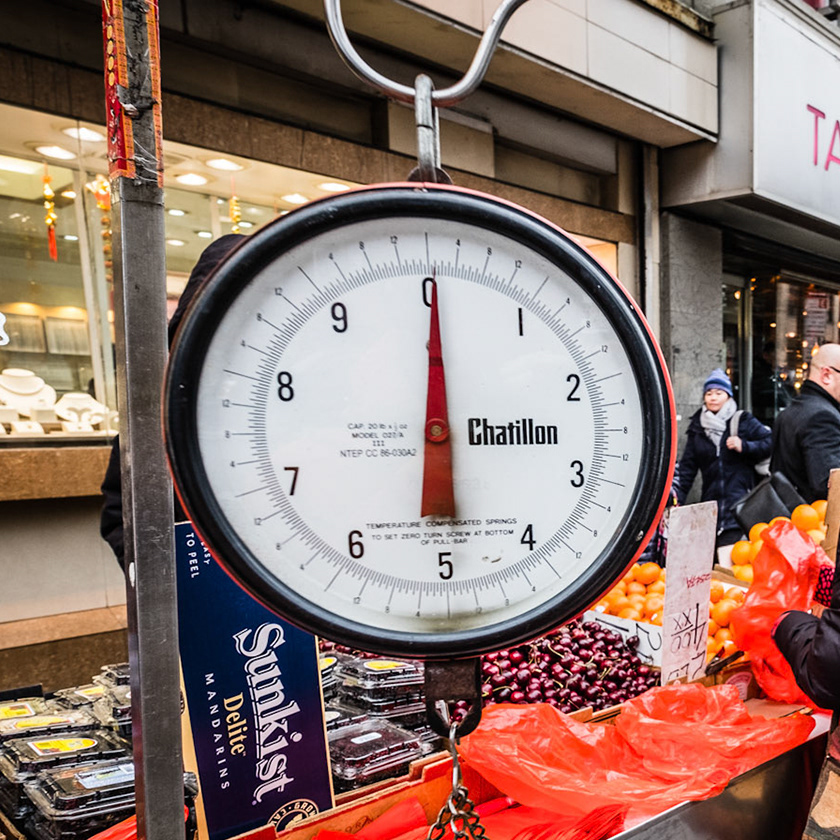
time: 11:59
